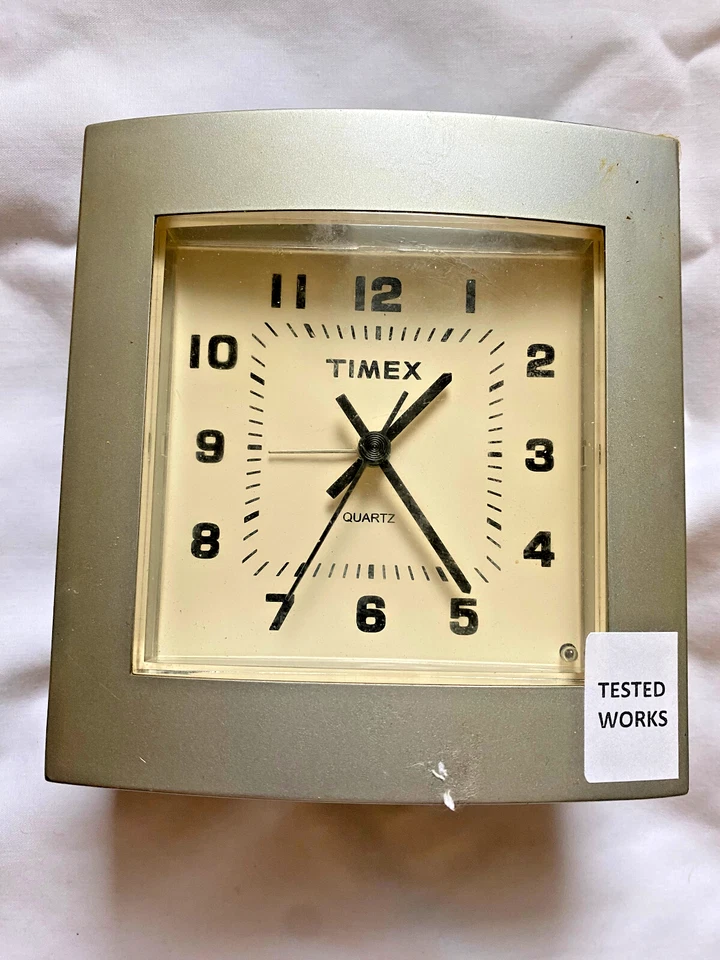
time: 1:23
